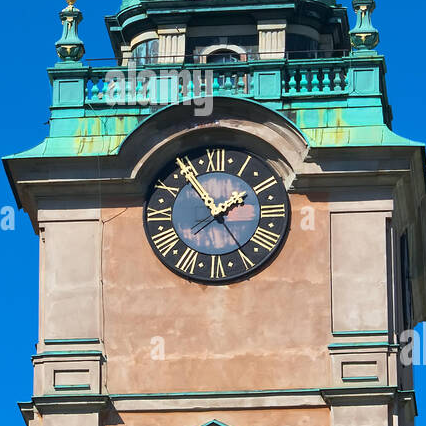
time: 1:54
